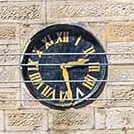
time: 2:27
